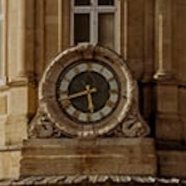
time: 5:42
